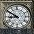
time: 8:50
